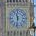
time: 11:31
